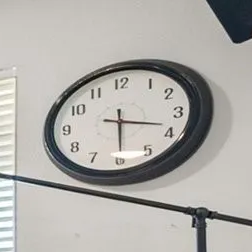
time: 3:29
